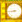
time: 8:43
